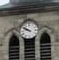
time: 9:50
